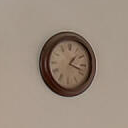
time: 1:18
